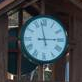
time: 2:57
